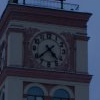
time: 4:38
